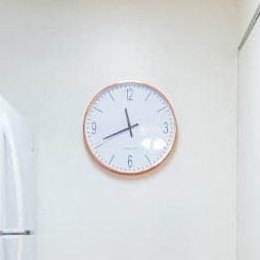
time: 11:41
